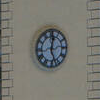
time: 12:26
